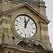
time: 12:04
